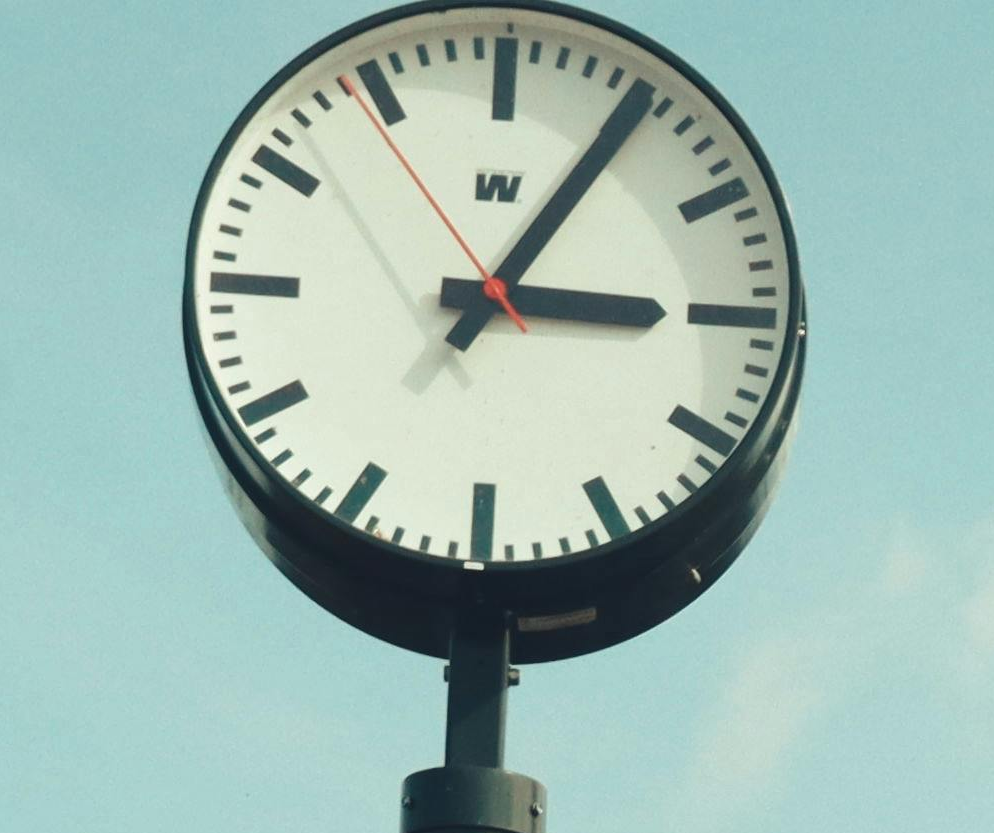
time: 3:05
